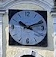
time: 10:11
